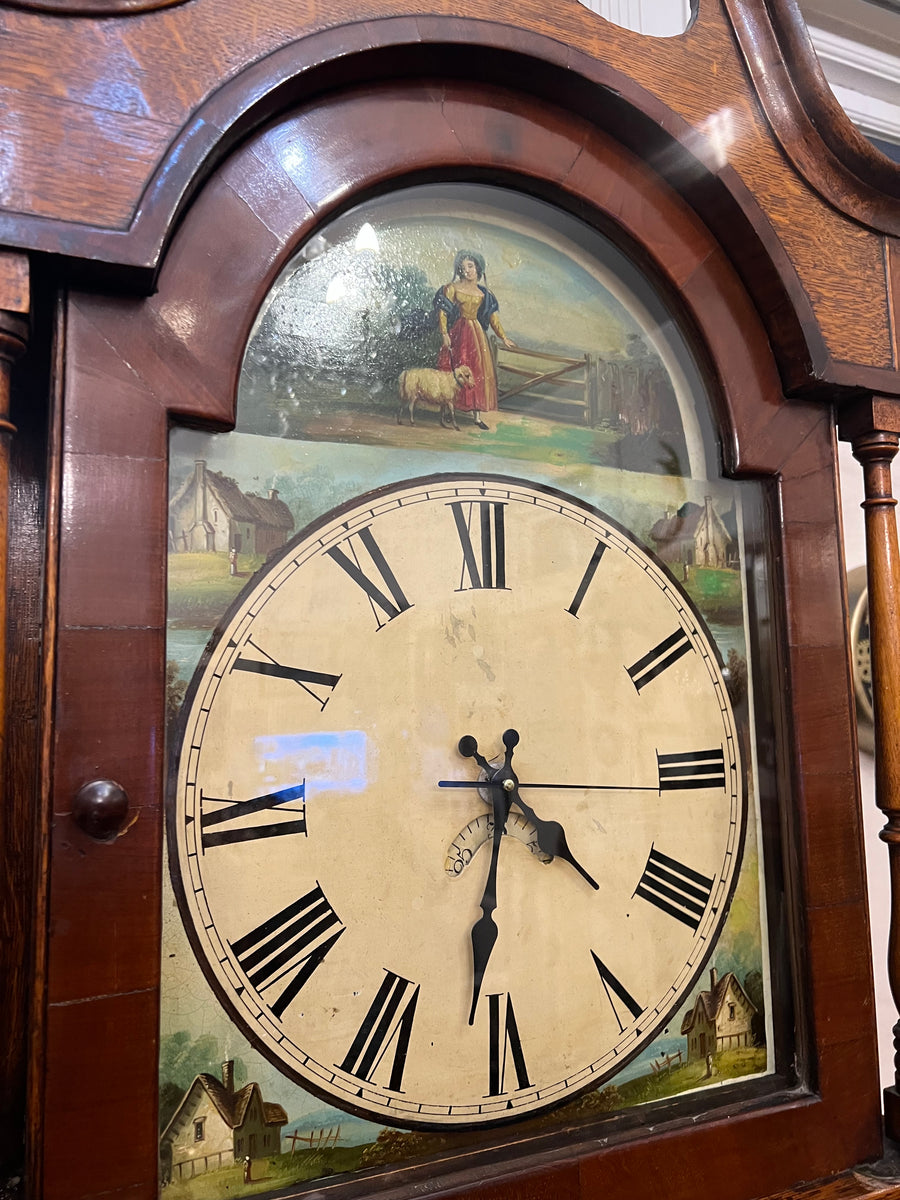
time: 4:31
